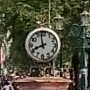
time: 11:41
